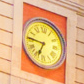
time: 6:45
